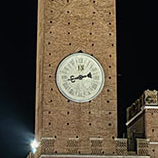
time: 2:42
